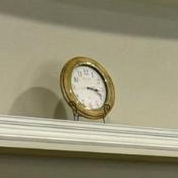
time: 3:18
